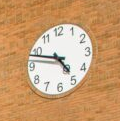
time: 4:48
